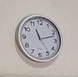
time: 11:12
